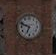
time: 6:48
